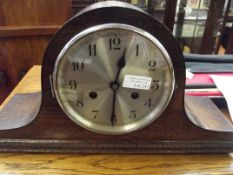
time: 12:30
